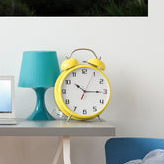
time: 10:15
